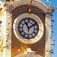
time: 11:08
